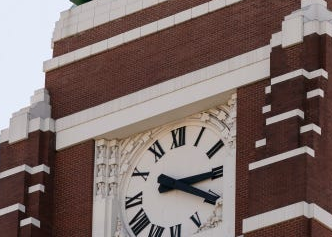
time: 3:20
